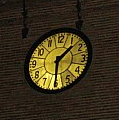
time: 1:30
